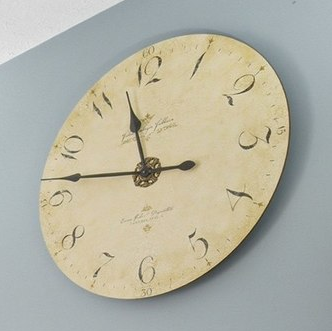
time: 11:46
